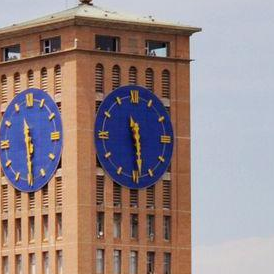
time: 11:28
